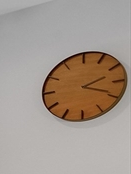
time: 2:18
